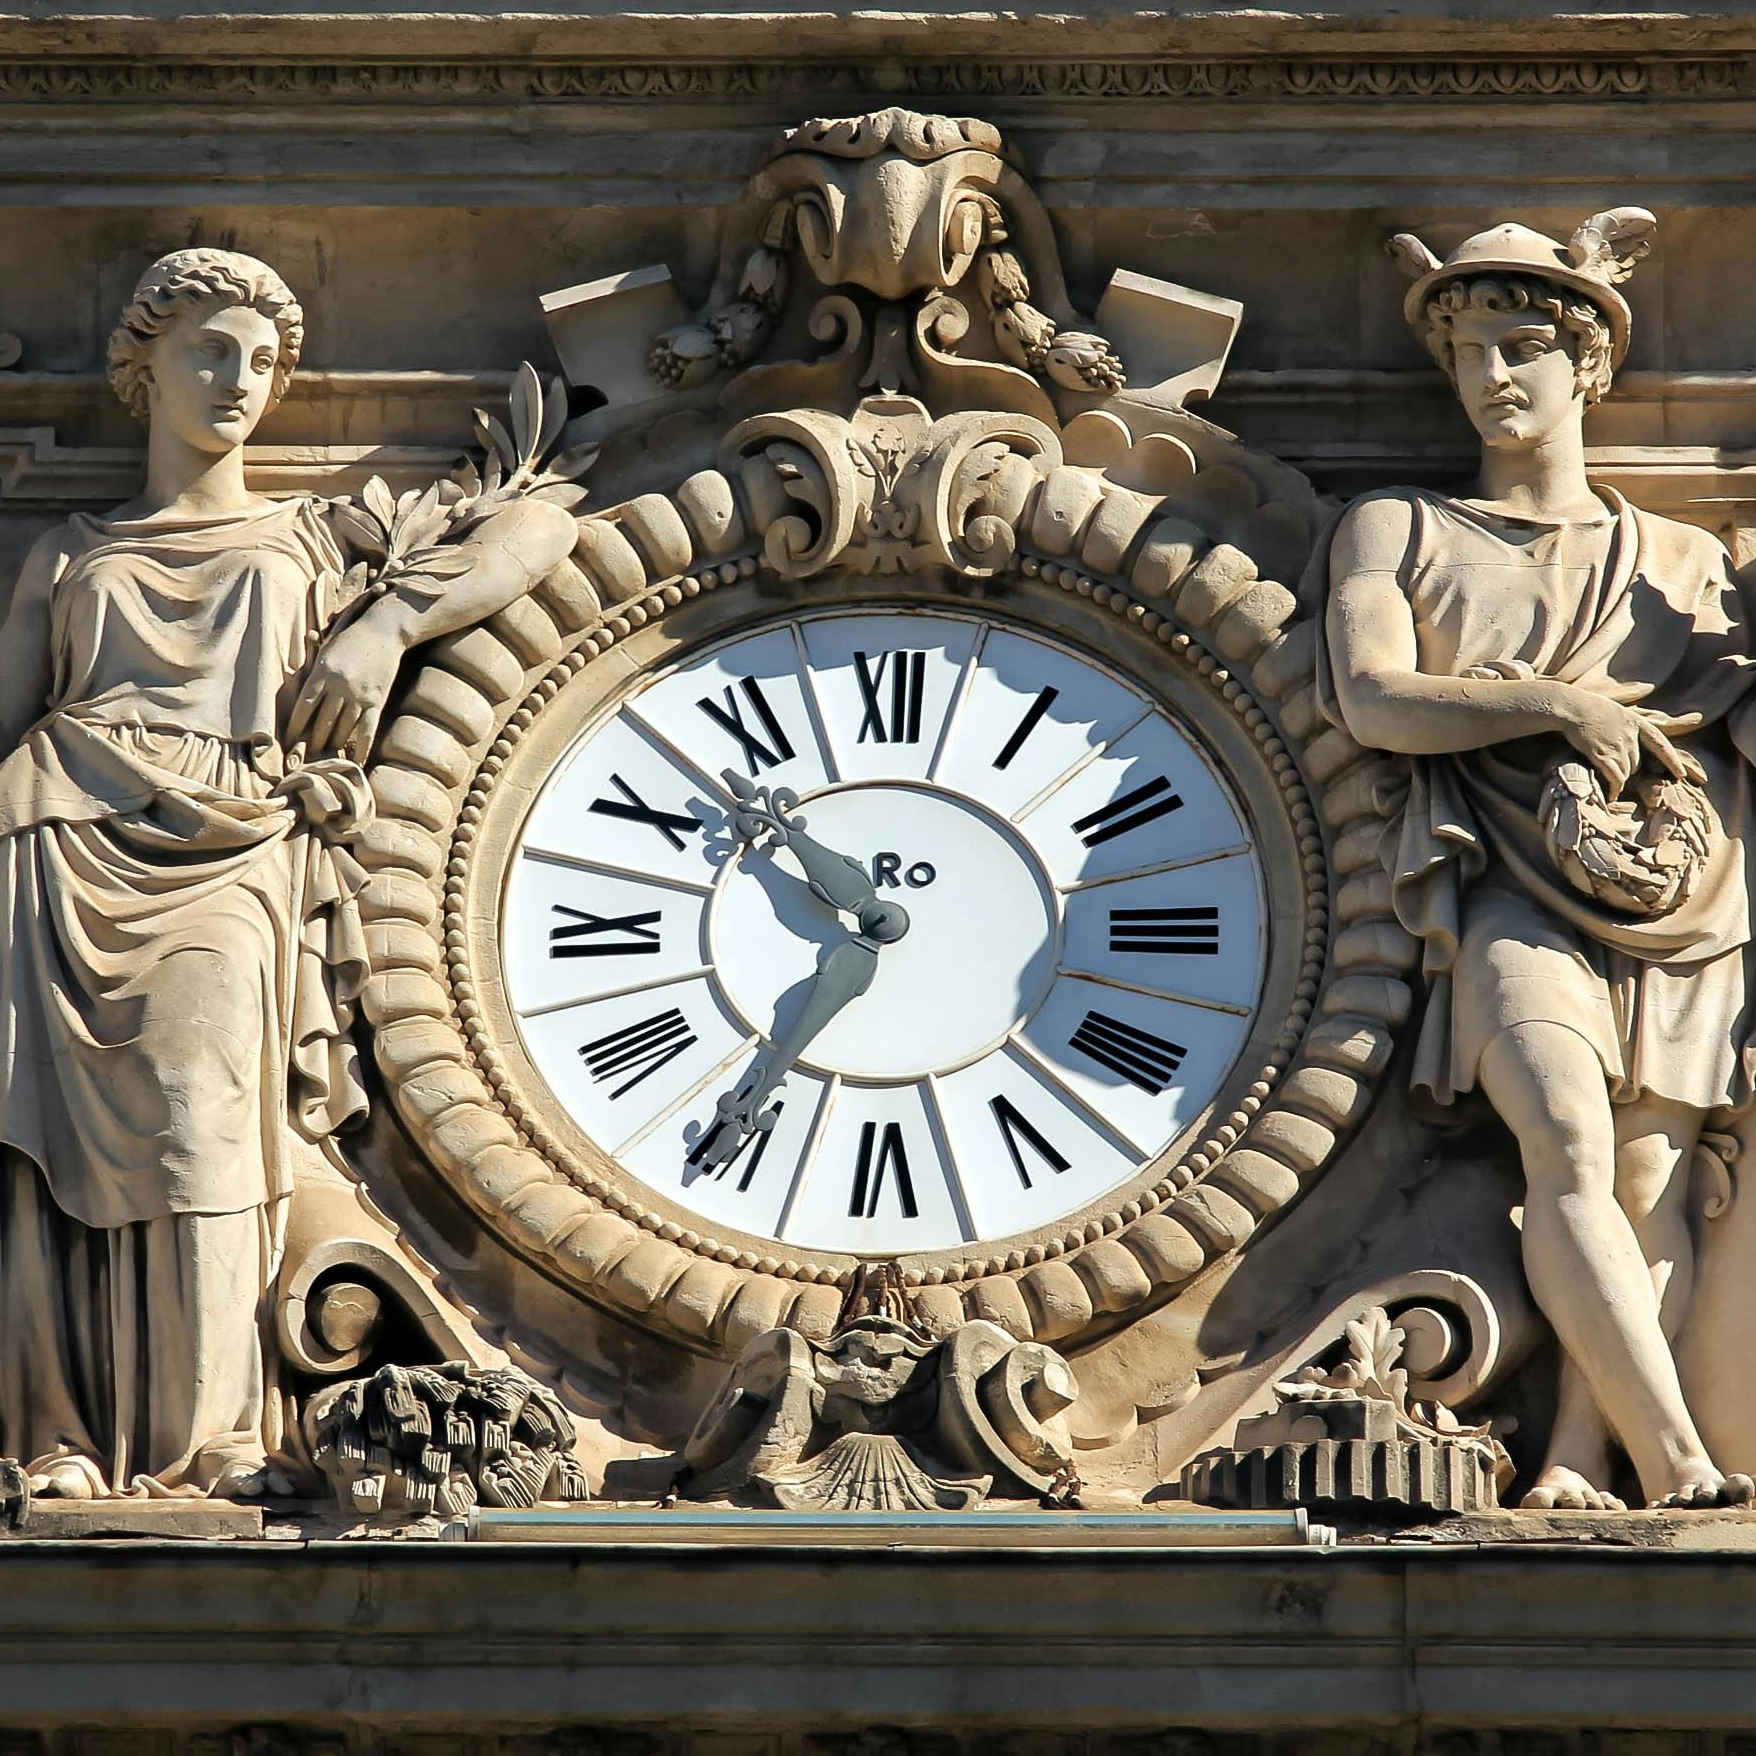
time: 10:35
